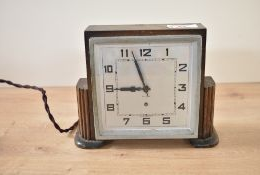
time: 8:56
